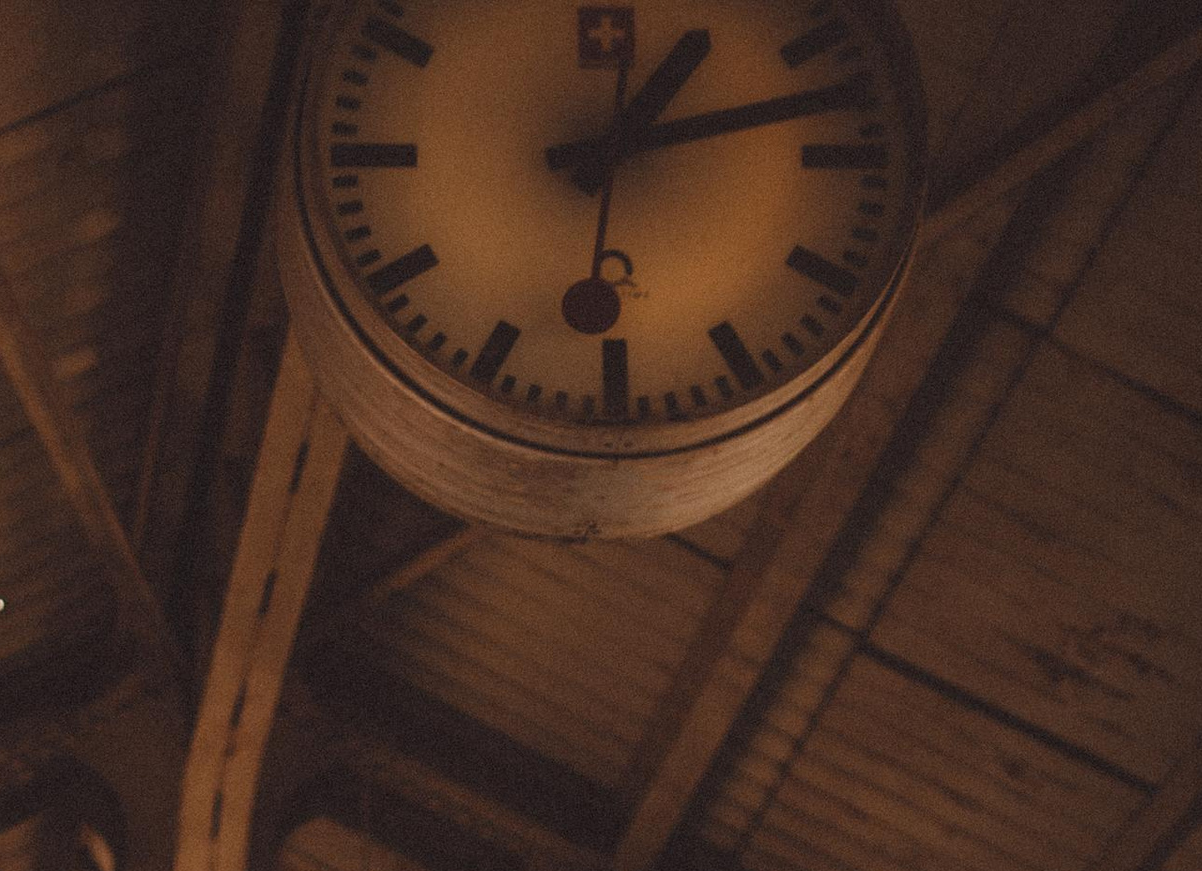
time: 1:12
